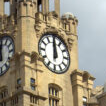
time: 11:59
